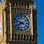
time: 7:48
